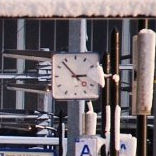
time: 2:53
